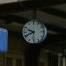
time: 9:41
